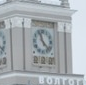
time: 11:22
